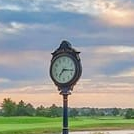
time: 7:16
